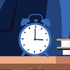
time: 3:00
